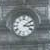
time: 3:09
